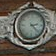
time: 2:22
